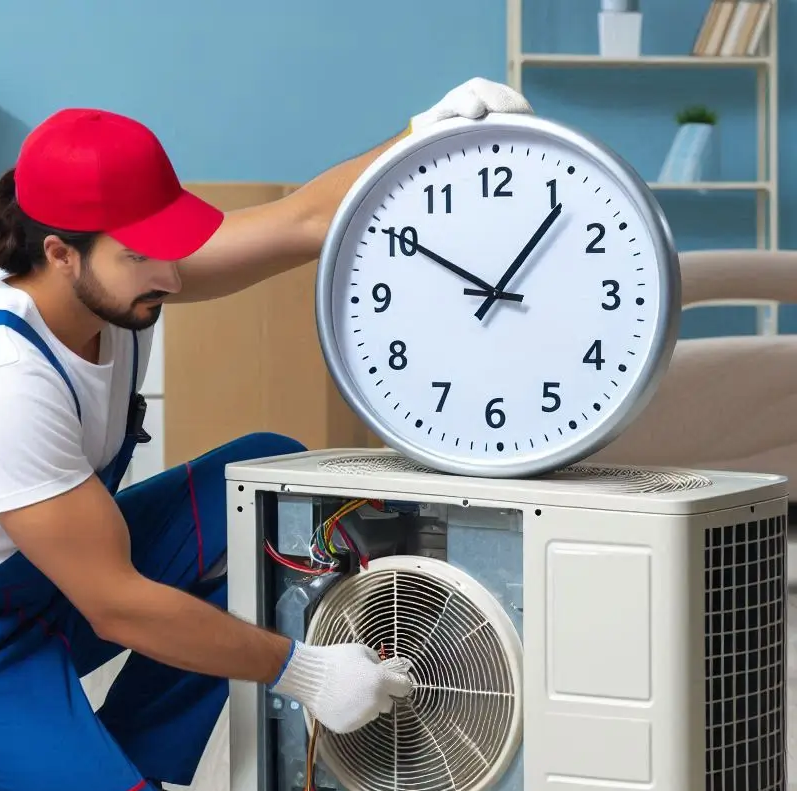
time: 10:06
